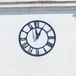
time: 12:58
